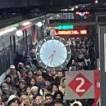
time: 7:32
